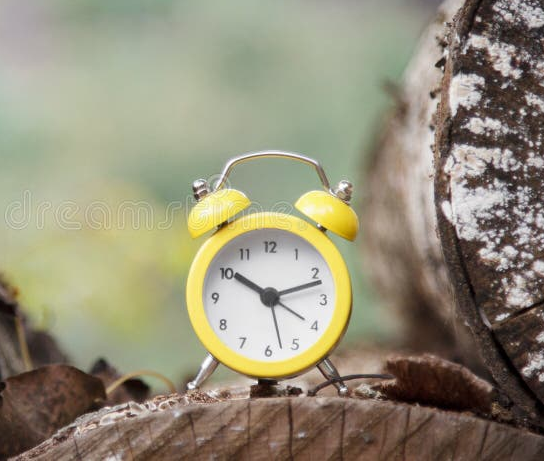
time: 10:12
